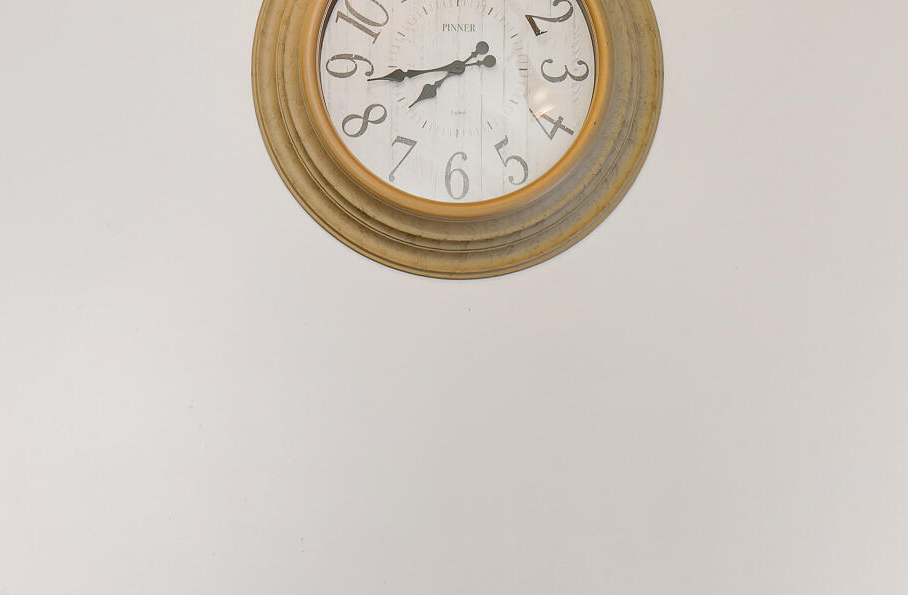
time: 7:43
